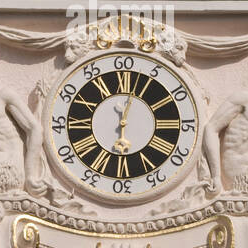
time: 6:02
